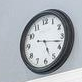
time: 5:17
